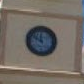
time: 11:51
